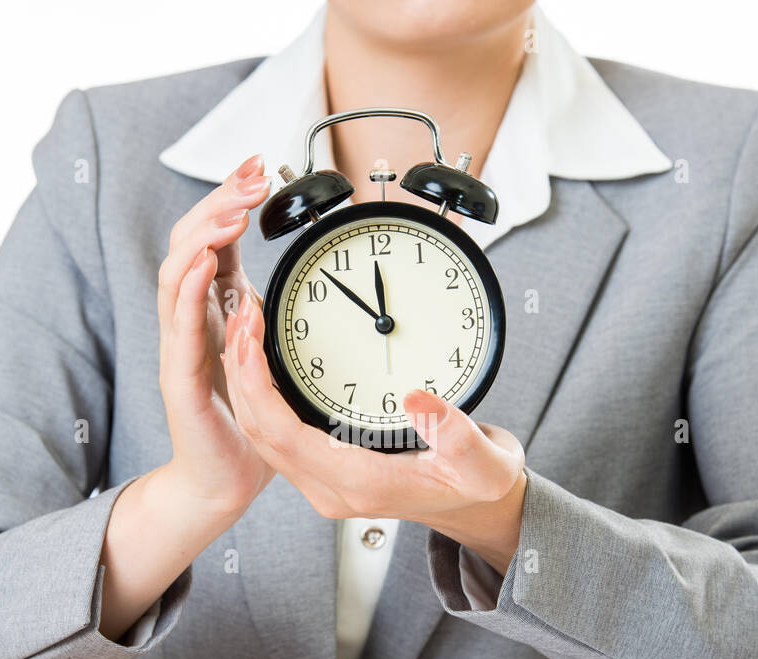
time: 11:52
